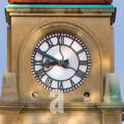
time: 8:48
